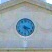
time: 3:23
